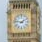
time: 1:46
